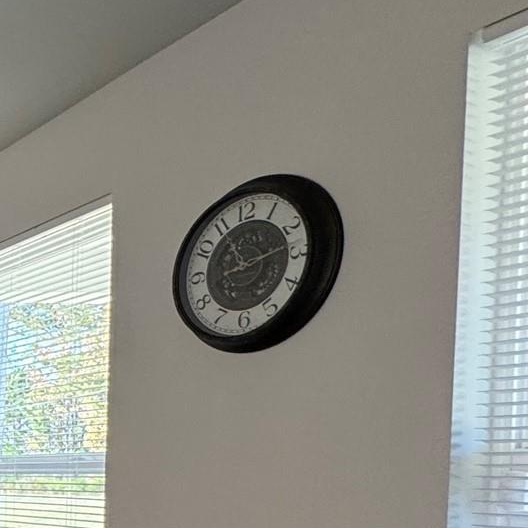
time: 11:12
